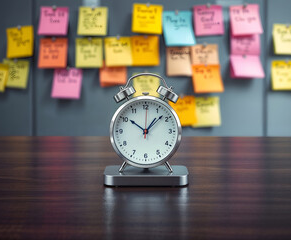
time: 10:07
